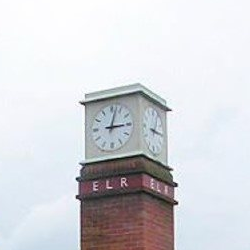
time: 3:02
